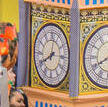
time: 8:01
